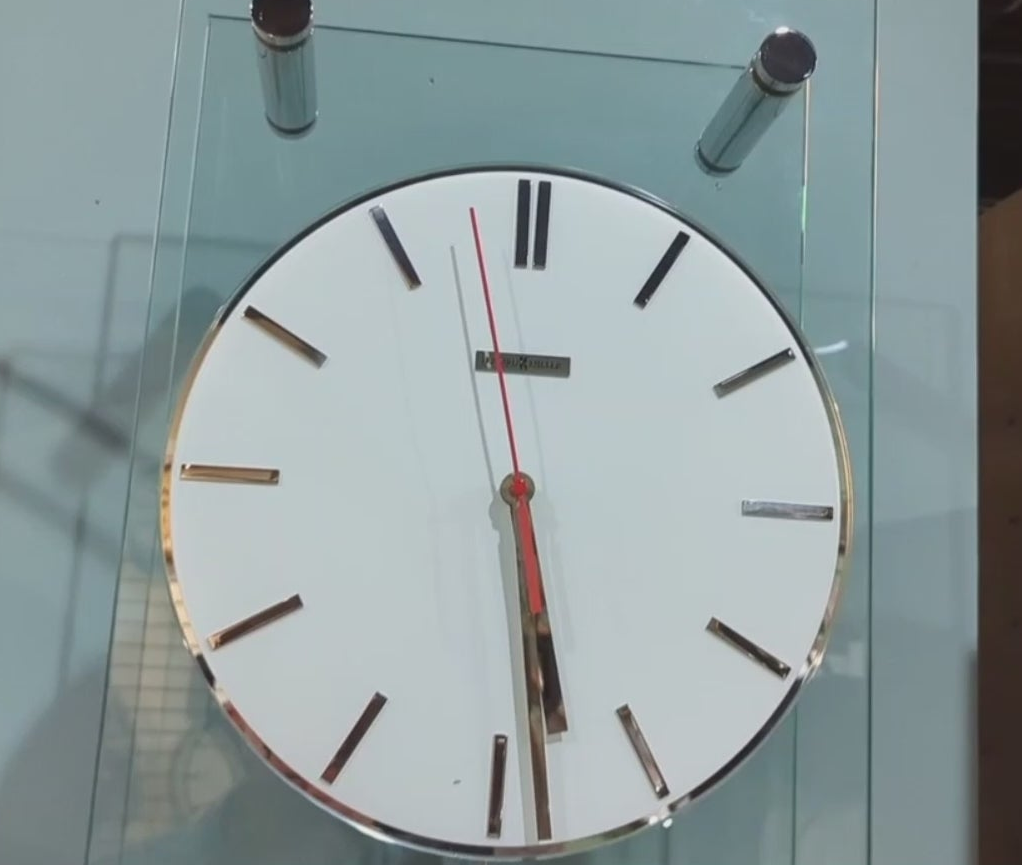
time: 5:28
